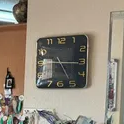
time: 5:15
